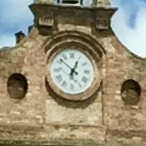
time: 12:52
